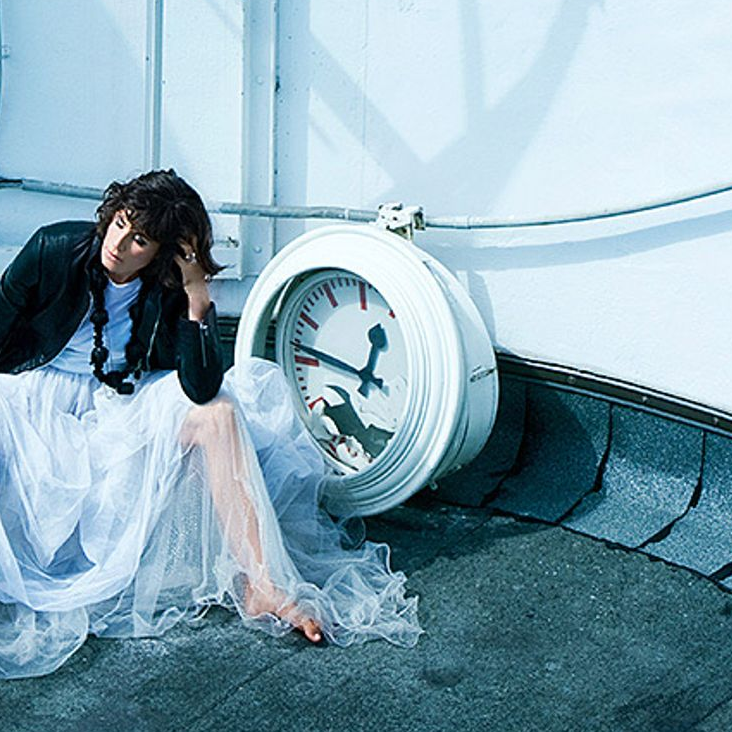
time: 12:46
